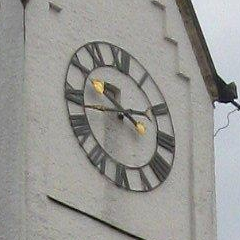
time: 9:42
